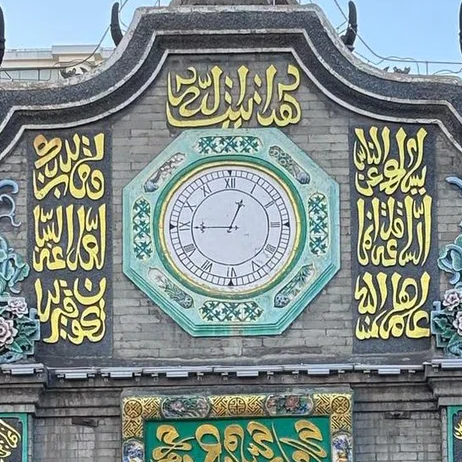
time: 12:44
